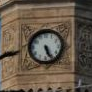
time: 5:26
